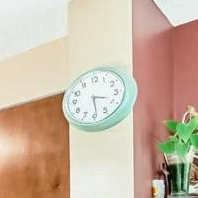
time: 3:29
